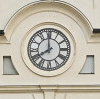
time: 7:59
